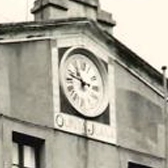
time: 10:47
